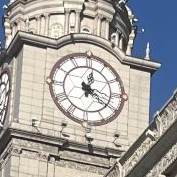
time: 12:21
